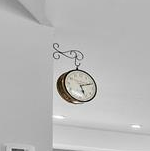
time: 5:12
